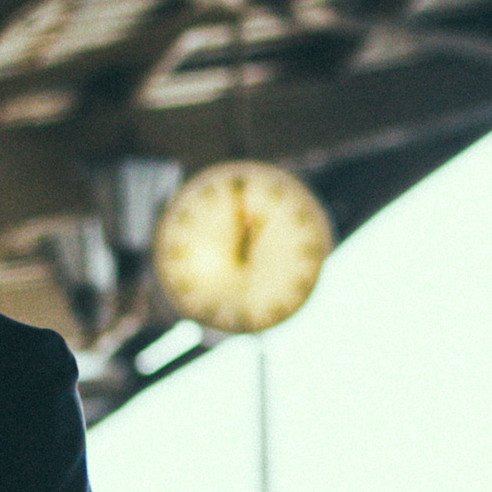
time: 12:59
